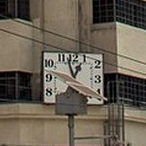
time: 12:57
